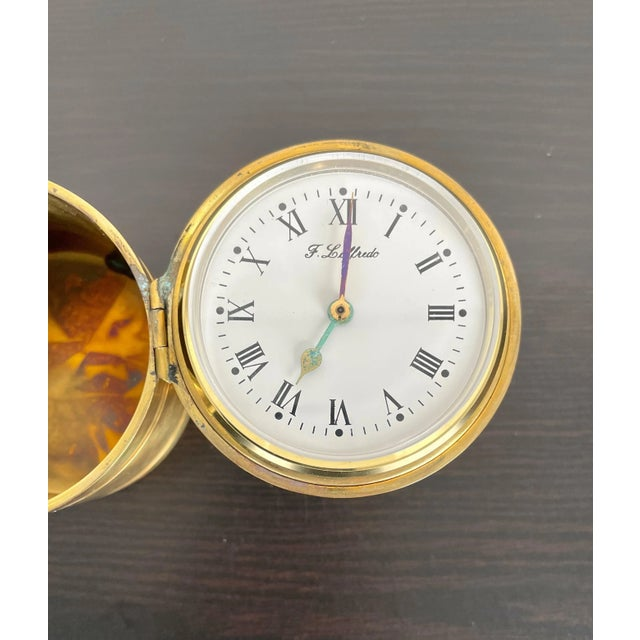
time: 7:00
